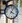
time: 4:04
